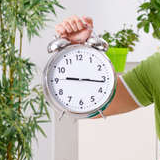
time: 9:16
